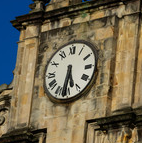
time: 5:31
